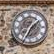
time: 1:34
